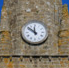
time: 11:51
